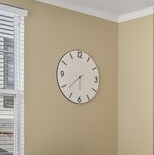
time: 5:38
